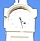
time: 4:27
